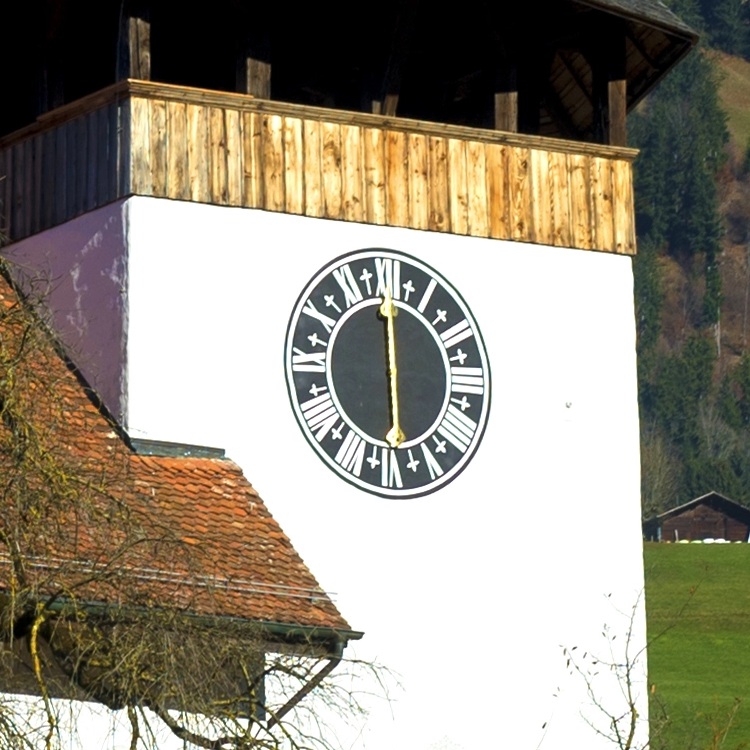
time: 5:59
